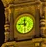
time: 11:46
